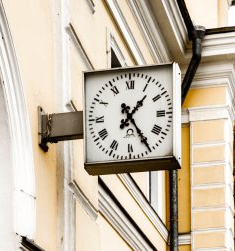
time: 1:24
